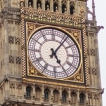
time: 5:06
